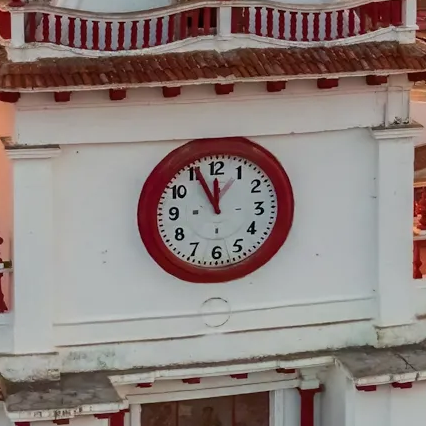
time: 11:55
